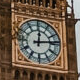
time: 12:13
